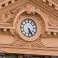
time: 5:24
